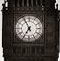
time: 6:55
